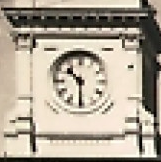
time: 10:30
